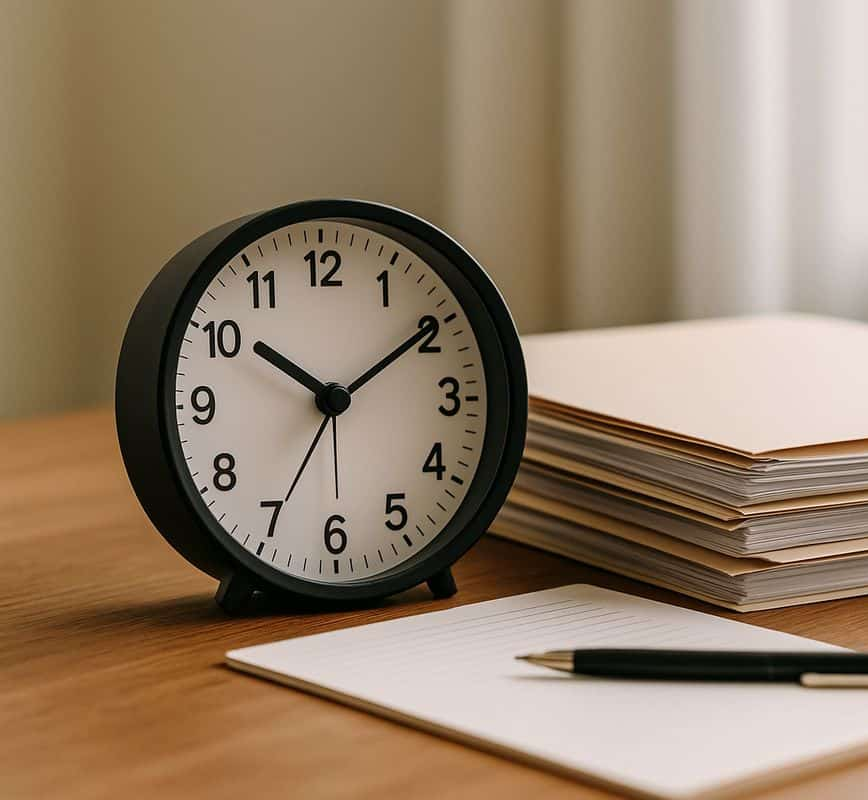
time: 10:09
